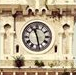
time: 11:28
